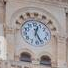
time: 12:26
